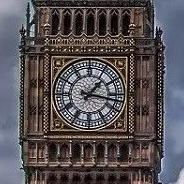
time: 1:16
